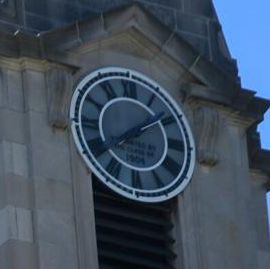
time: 8:08
